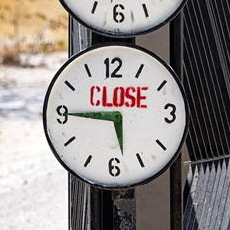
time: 5:45
